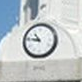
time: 10:46
